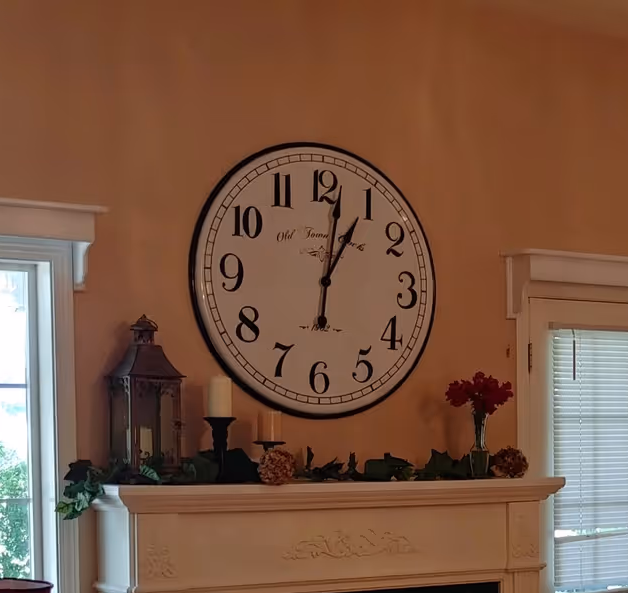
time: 1:01
